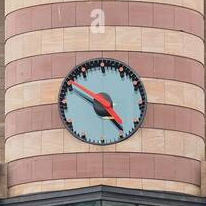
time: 4:50
